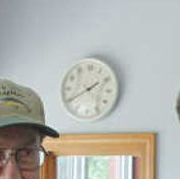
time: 1:40
